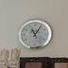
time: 11:05
